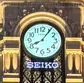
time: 8:05
